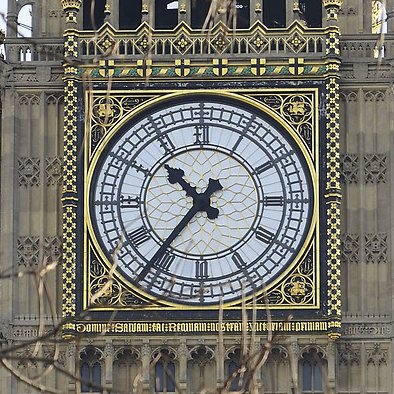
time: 10:36
